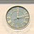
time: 8:12
